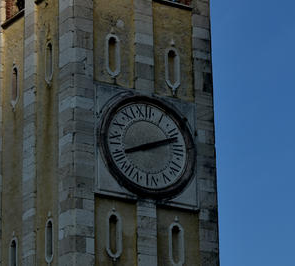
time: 8:11
